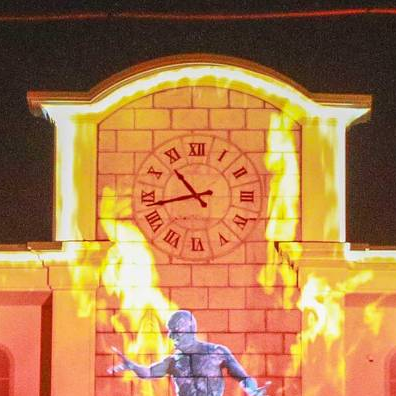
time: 10:42
